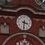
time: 3:31
